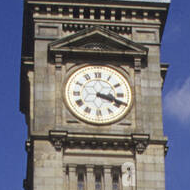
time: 3:18
